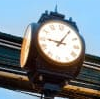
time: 9:05
